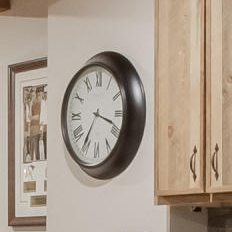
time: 3:35
